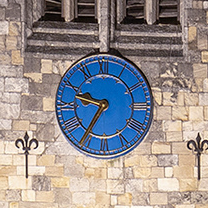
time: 9:35
